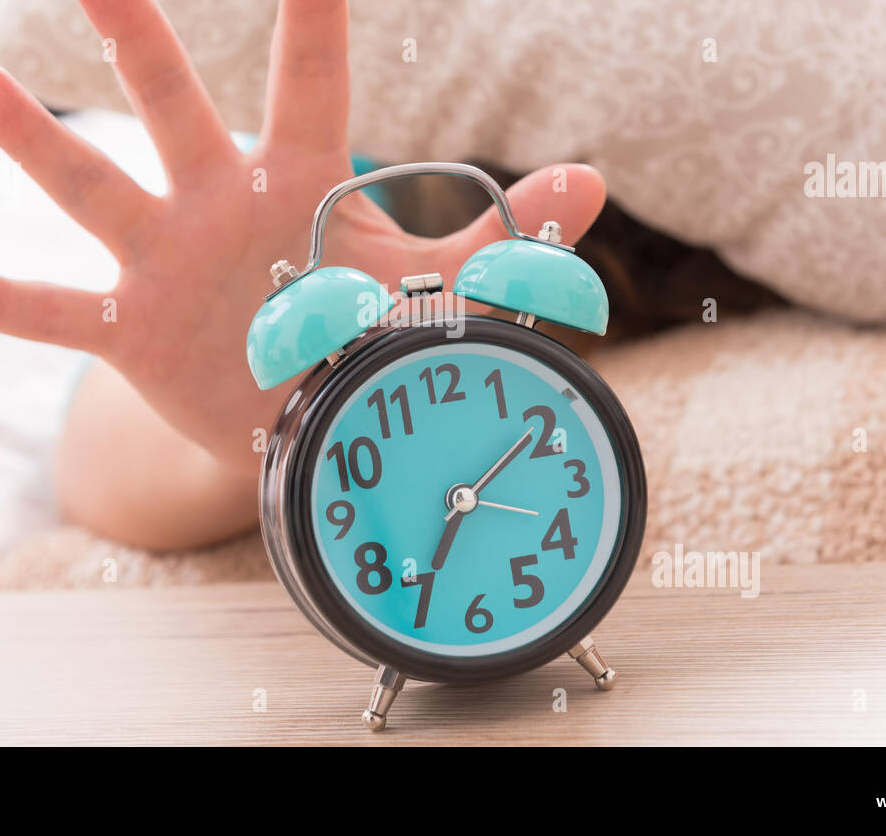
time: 7:09
